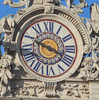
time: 3:48
